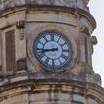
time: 8:42
